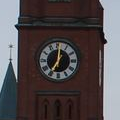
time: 7:01
